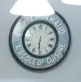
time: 6:30
